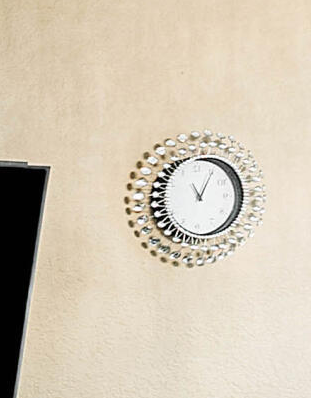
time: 11:04
